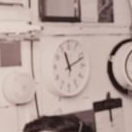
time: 11:11
